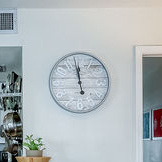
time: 11:58
